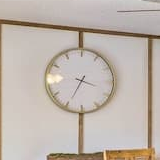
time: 3:34
